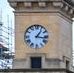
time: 1:16
